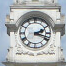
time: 2:18
